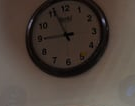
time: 8:56
